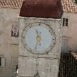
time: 11:32
